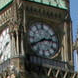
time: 2:40
